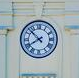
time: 7:52
